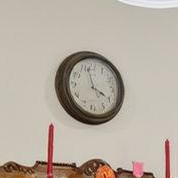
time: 3:57
